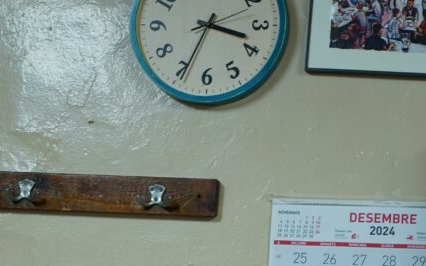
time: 3:34
